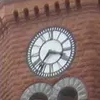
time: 3:36
